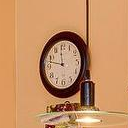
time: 11:47
